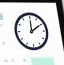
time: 12:09
